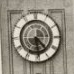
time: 4:29
